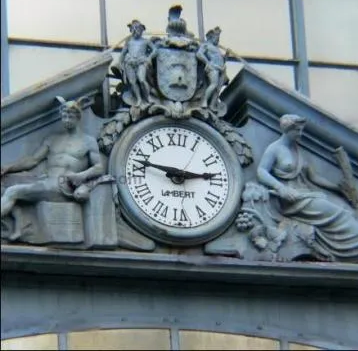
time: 2:47
